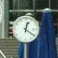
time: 12:20
